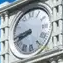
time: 8:41
